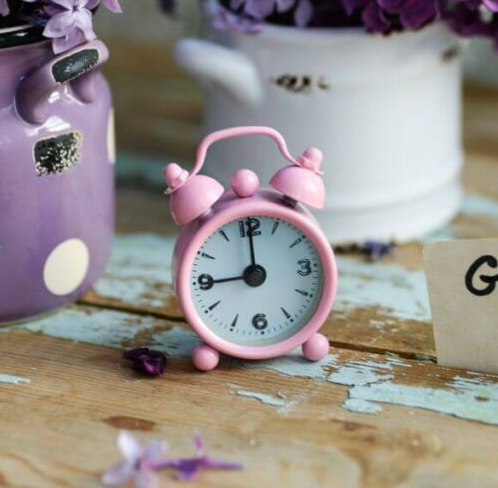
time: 9:00
